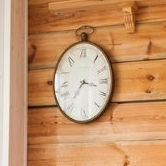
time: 7:17
